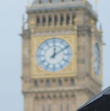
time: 12:09
